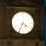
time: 4:34
